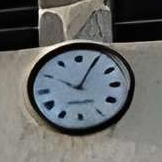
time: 10:04
